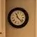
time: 11:22
